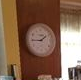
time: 1:45
